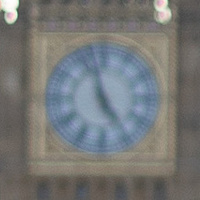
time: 4:57
